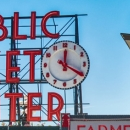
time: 12:19
